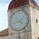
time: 4:42
